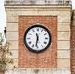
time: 11:31
